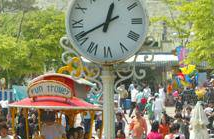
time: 12:40
